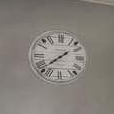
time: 1:38
